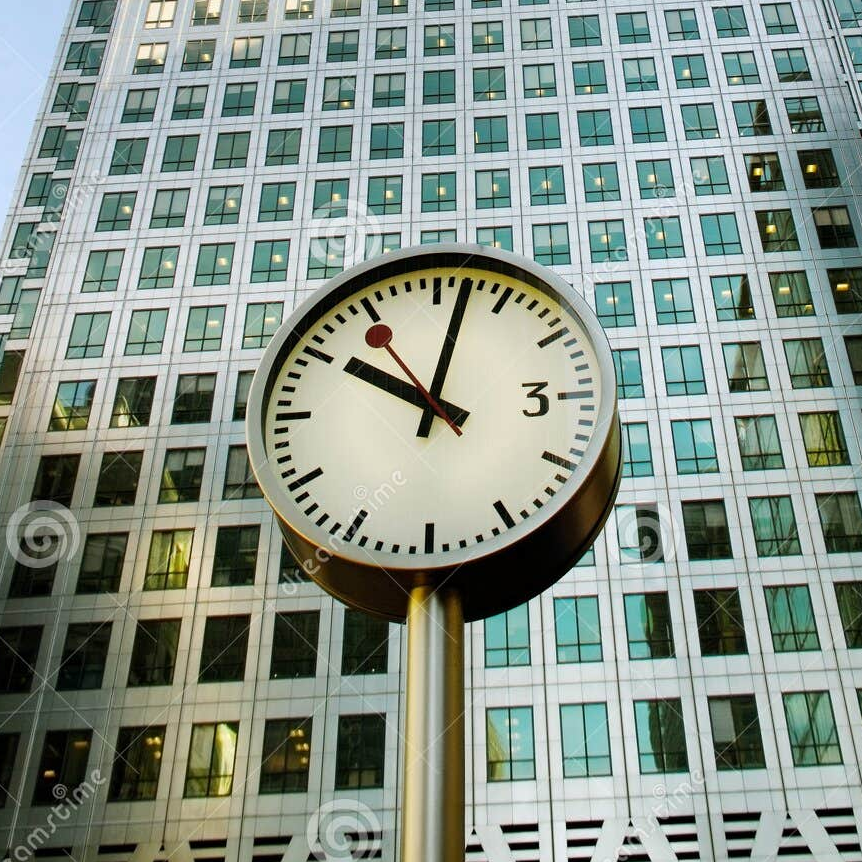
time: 10:02
